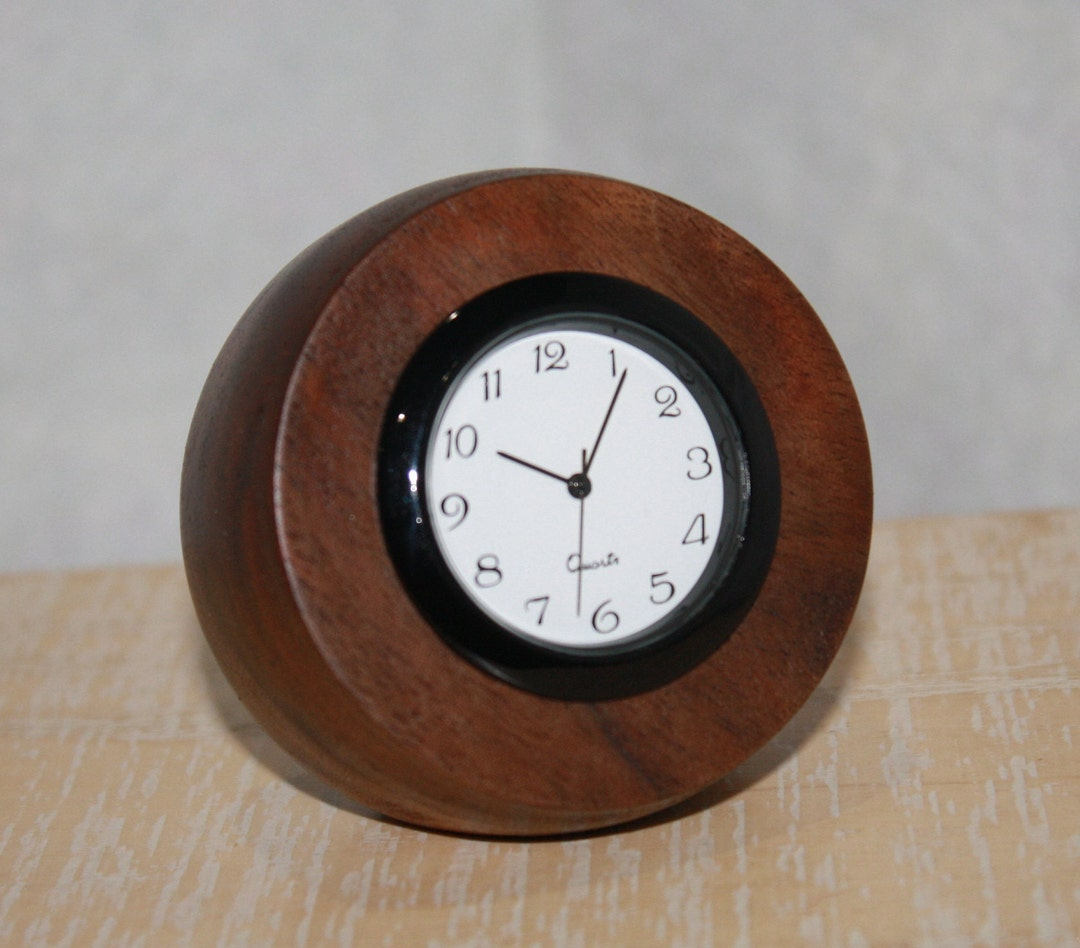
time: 10:05
